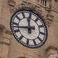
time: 11:42
